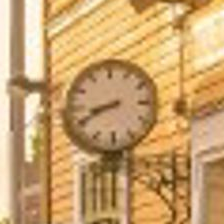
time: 8:41
